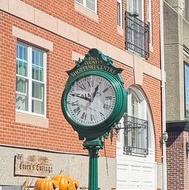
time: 12:49
